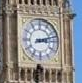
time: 3:12
